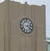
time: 4:12
